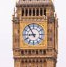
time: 8:54
